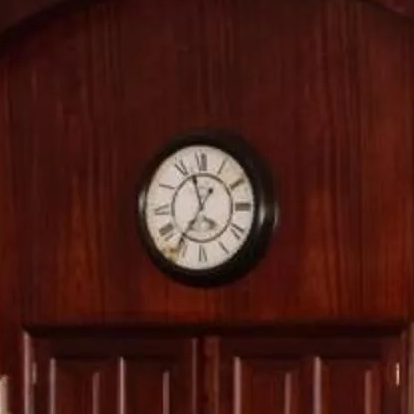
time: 11:35
